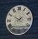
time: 7:49
